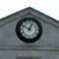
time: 12:49
